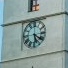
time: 5:20
